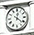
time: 12:21
